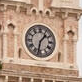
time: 1:32
